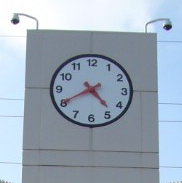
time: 4:40
